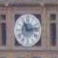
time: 11:13
